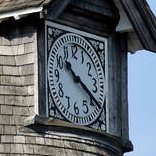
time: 10:20
